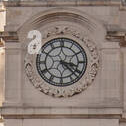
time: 3:22
